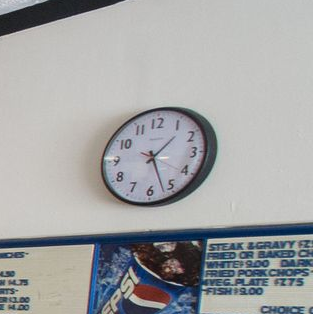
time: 1:26
